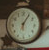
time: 6:05
